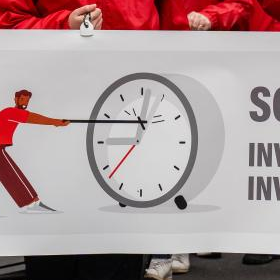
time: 9:01
